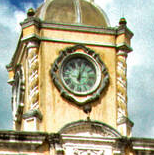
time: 12:03
